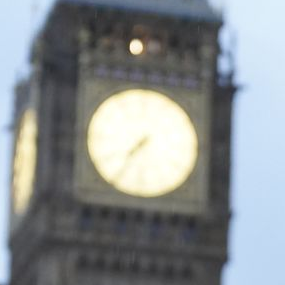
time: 7:35
